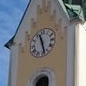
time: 11:28
